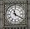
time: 11:19
